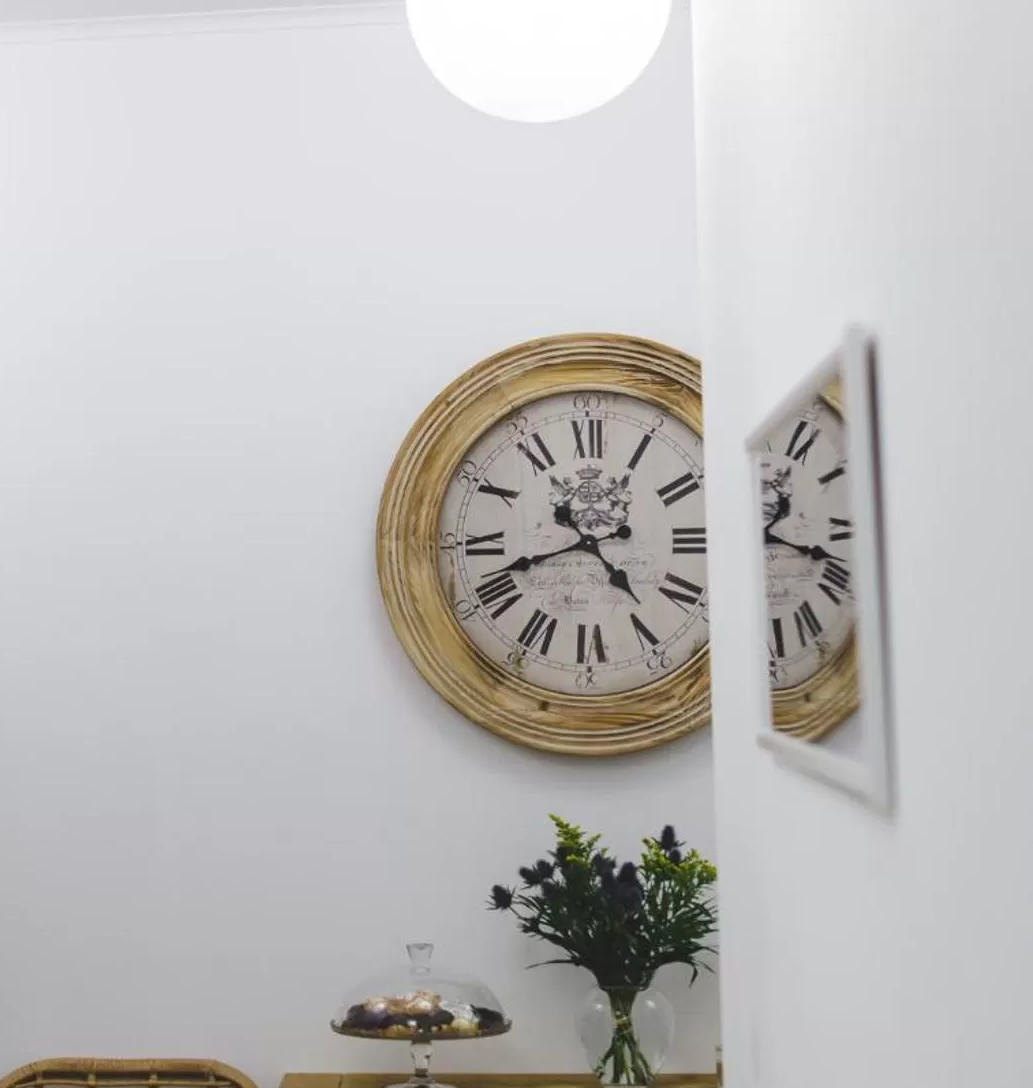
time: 4:41
